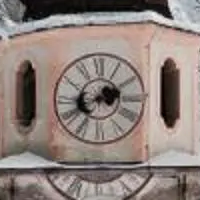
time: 2:40
